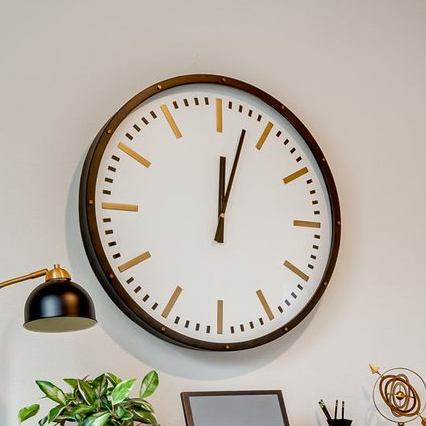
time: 12:02
